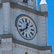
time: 12:38
